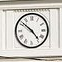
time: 4:51
